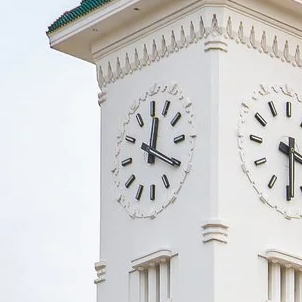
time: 12:19
